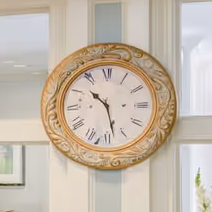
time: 10:28
